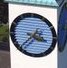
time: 3:37
